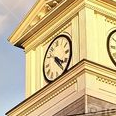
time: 4:20
